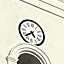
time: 4:38
